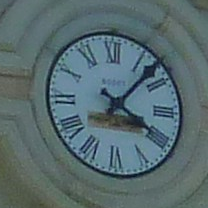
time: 4:07
